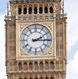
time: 2:15
